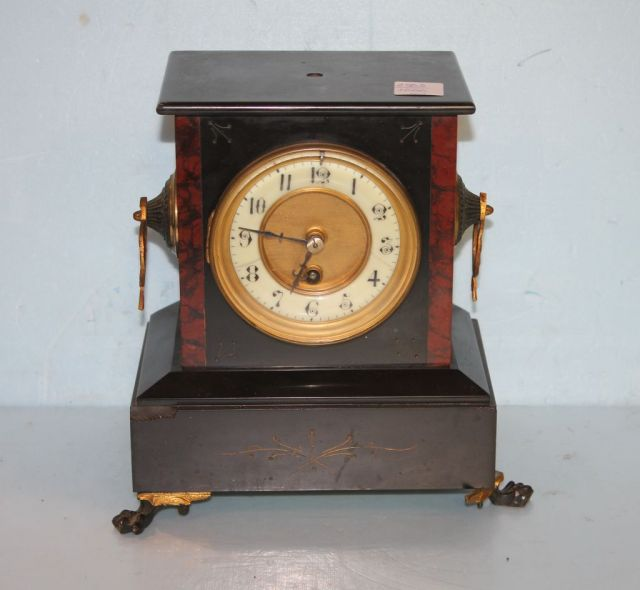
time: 6:45
